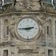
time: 2:45
